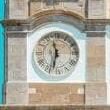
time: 11:32
